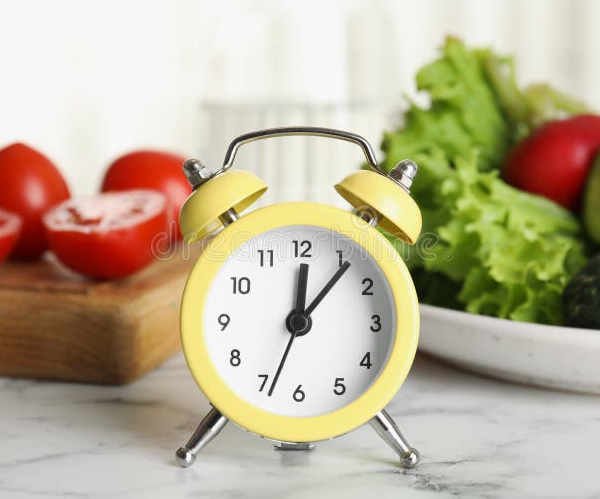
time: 12:06
